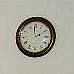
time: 1:59
